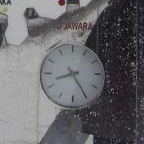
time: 8:24
